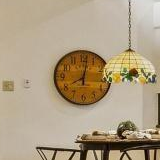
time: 8:01
